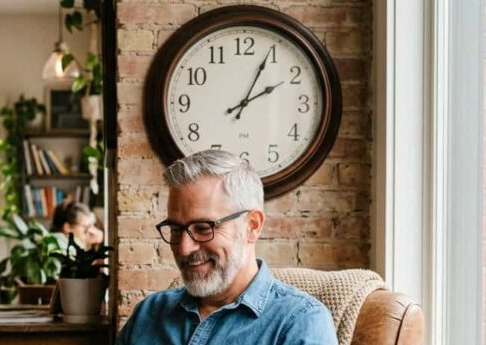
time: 2:04
